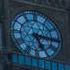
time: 5:15
